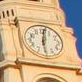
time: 6:01
